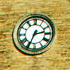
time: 2:34
